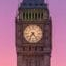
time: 7:23
